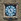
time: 11:22
